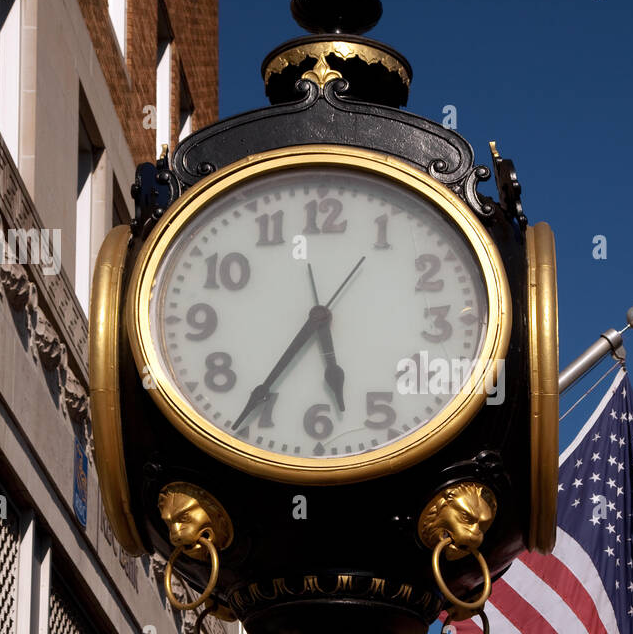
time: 5:35
